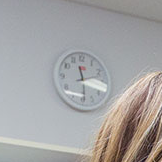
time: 11:29
